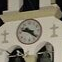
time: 9:22
